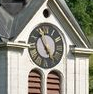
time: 4:54
